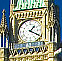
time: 1:20
